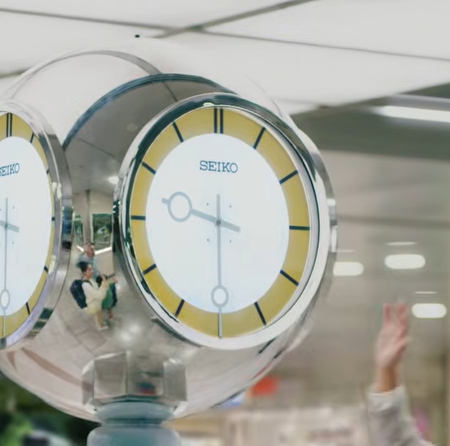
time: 9:30
